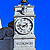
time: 1:46
